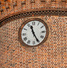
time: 11:25
